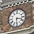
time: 3:30
